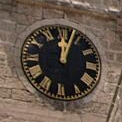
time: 12:03
